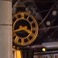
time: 3:43
